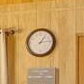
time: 1:13
